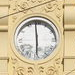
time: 5:59
